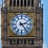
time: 2:23
